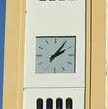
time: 2:06
